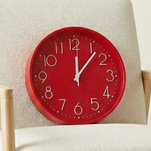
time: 12:06
